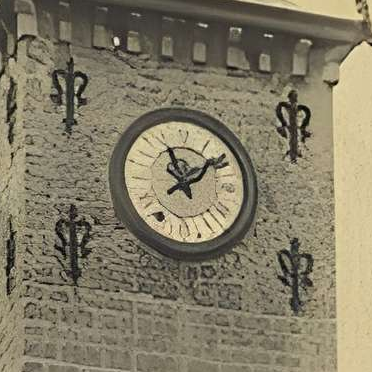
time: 11:08
